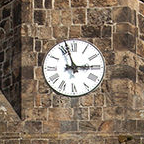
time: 2:57
